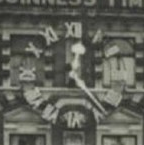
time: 12:23
